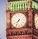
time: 7:34
